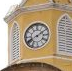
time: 8:09
